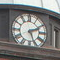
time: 2:26
